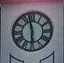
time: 5:57
